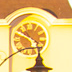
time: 4:49
